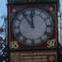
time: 11:54
